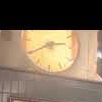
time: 2:39
